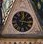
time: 1:16
